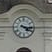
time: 4:16
